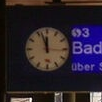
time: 11:56
